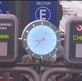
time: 8:37
